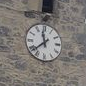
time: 11:38
